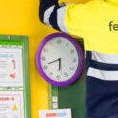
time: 5:41
